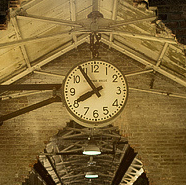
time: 7:54
